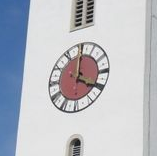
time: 4:00
